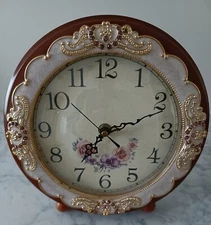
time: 7:11
